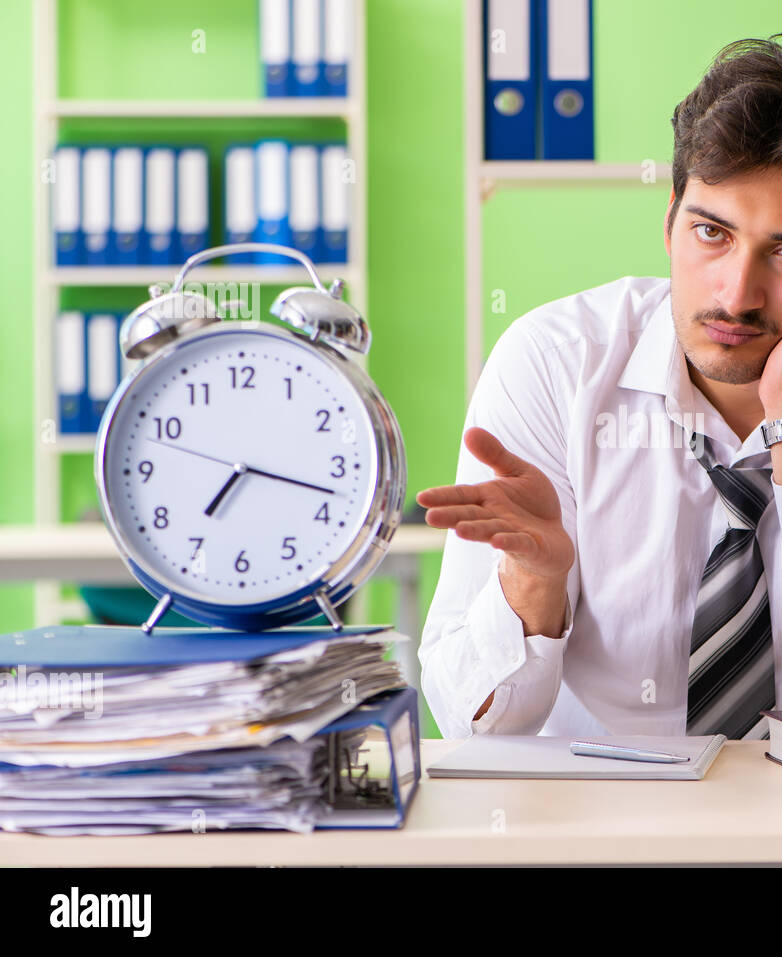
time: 7:17
